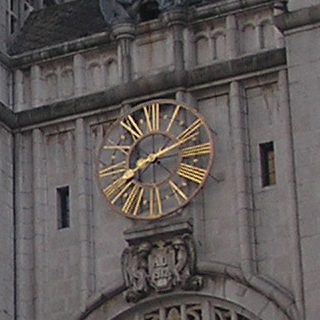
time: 8:11
